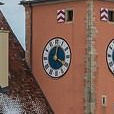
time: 12:20
